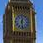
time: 12:28
